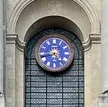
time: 4:42
